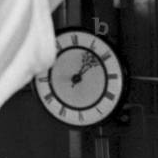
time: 1:08
